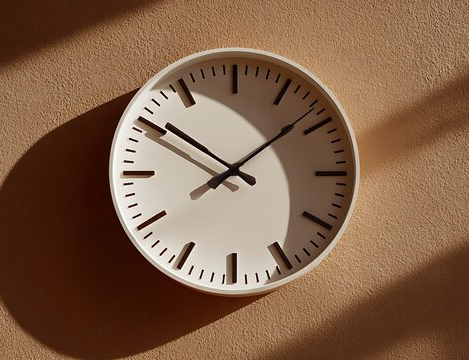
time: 10:08
